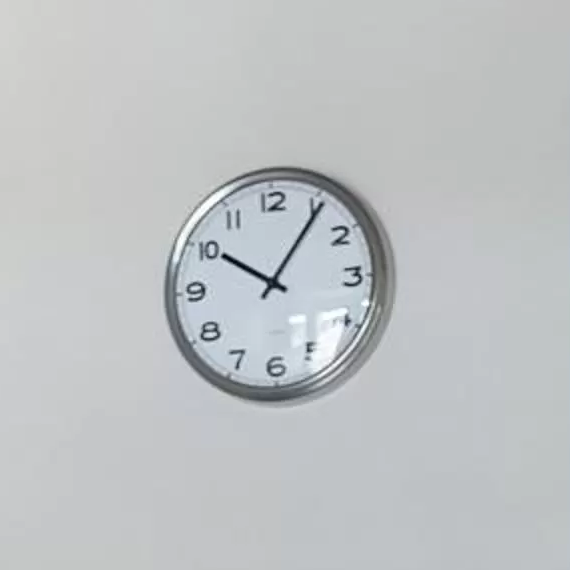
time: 10:05
